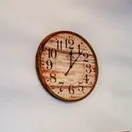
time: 12:06
